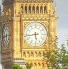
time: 5:43
